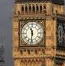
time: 11:31
